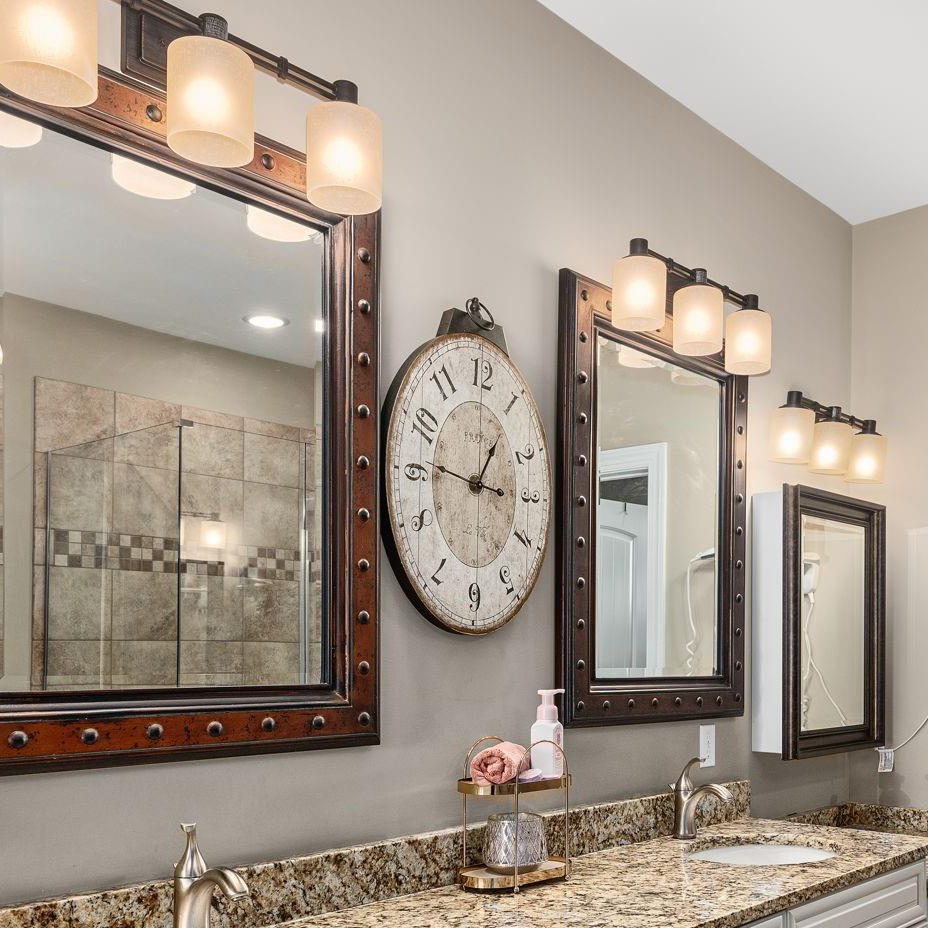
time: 12:46
